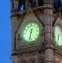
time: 6:32
